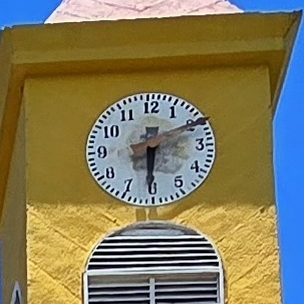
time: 6:10
